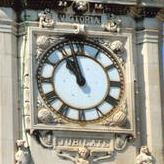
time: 10:57
